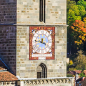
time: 3:46
